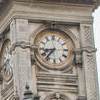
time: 8:36
